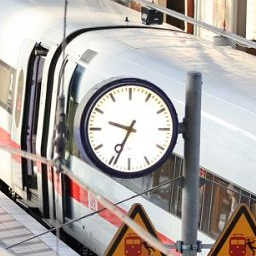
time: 9:34
